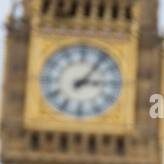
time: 3:06
